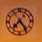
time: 7:24
